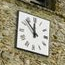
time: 11:52
